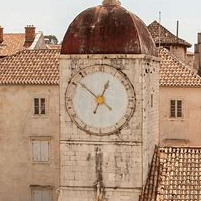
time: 12:52
